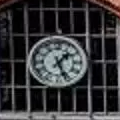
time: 1:26
